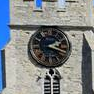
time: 2:18
